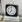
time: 7:00
